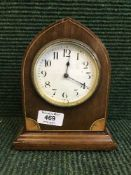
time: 12:19
